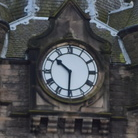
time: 10:30
